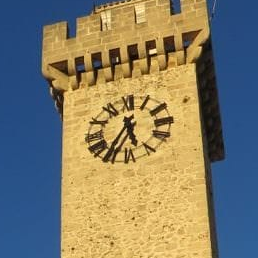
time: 5:35
